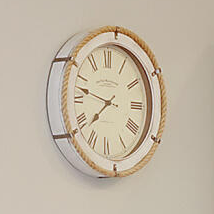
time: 7:47
